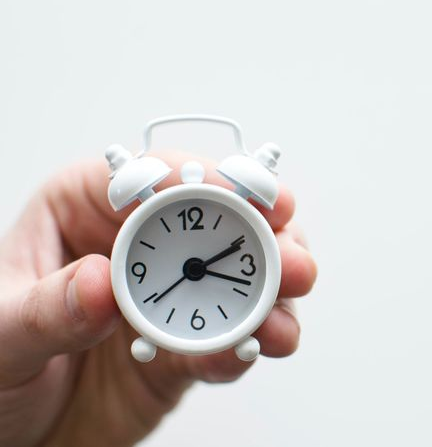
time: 2:18
